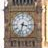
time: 3:32
